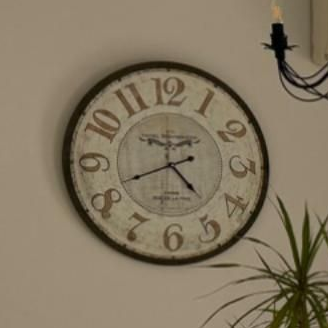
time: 4:41
